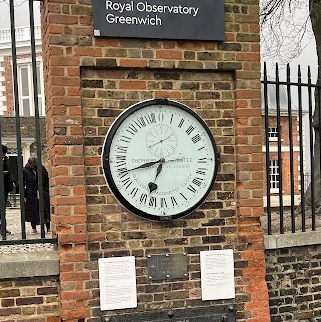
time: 6:41
